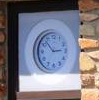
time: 2:53
